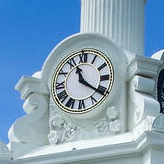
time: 11:21
